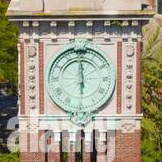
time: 11:59
